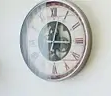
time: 12:15
